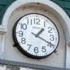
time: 1:19
